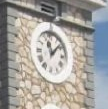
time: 11:07
